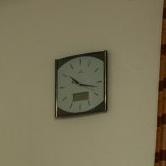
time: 10:17
